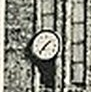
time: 1:36
